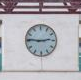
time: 2:46
